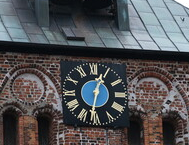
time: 12:31
